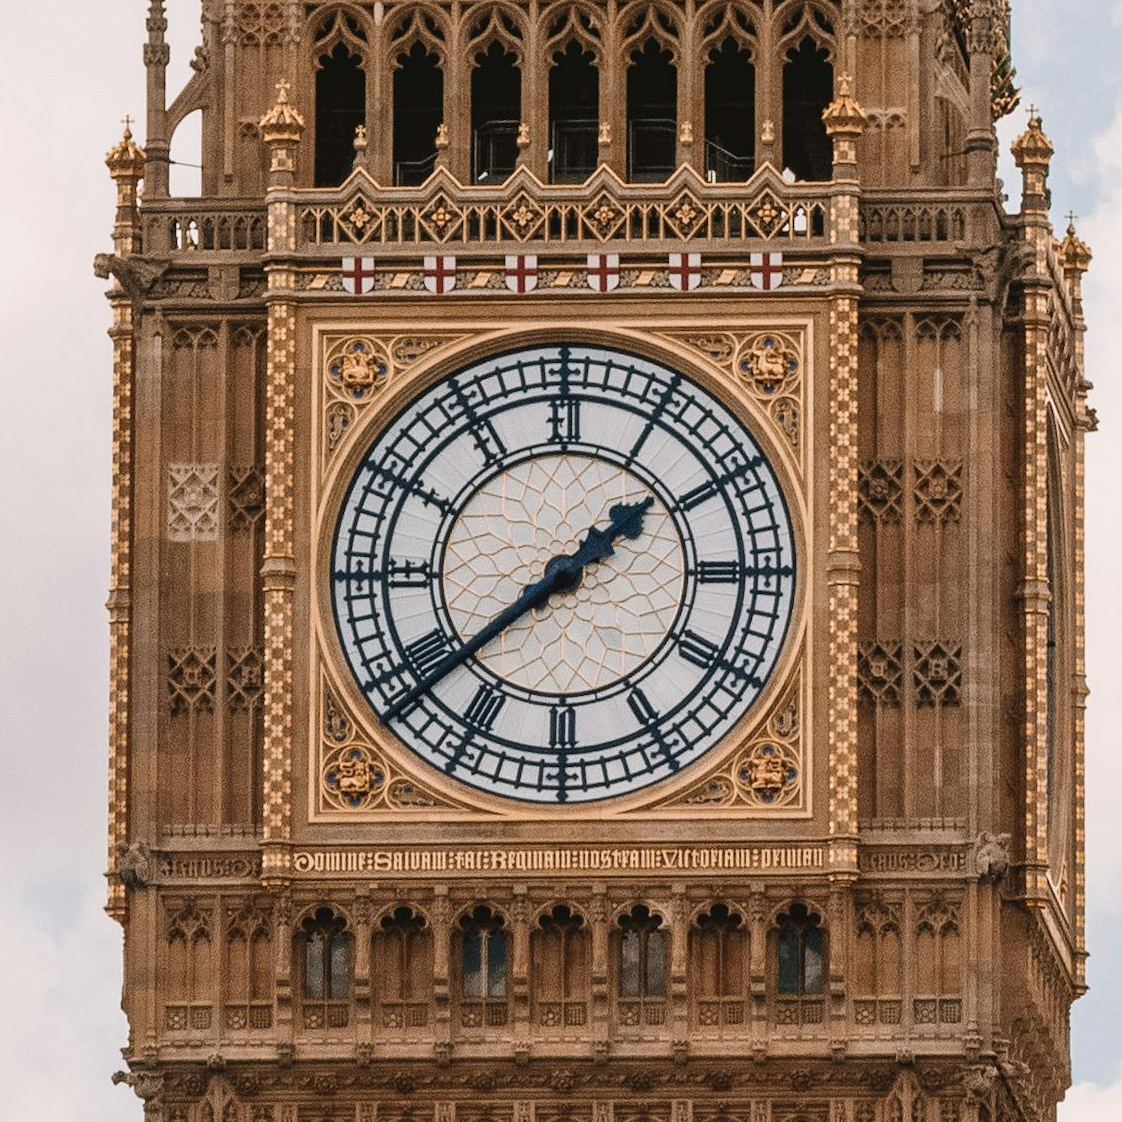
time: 1:38
